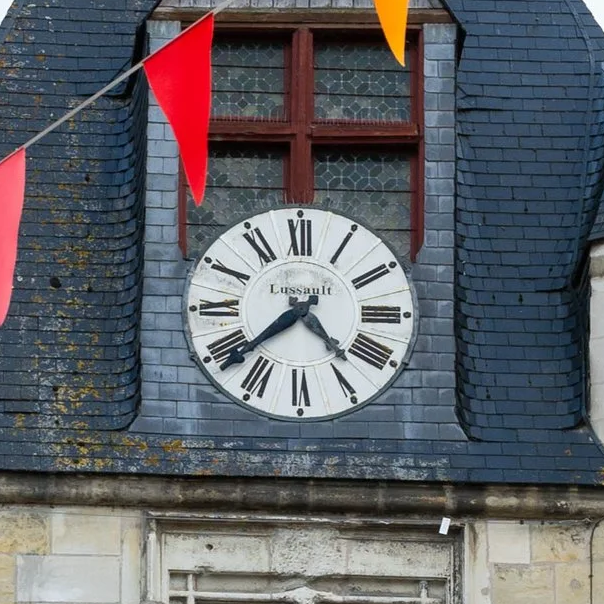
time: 4:37
